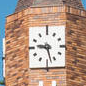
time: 9:27
